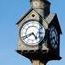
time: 4:41
